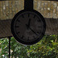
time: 12:22
